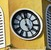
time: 4:58
